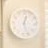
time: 12:26
